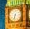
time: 6:32
